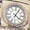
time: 4:04
